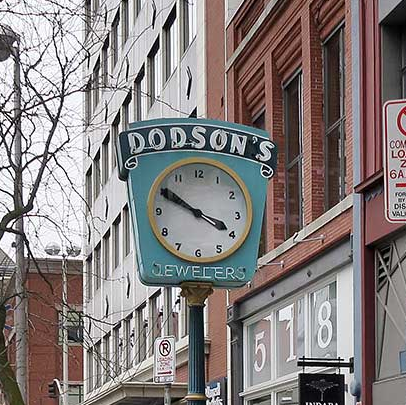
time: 3:50
